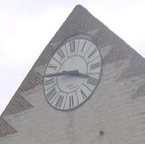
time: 3:46
